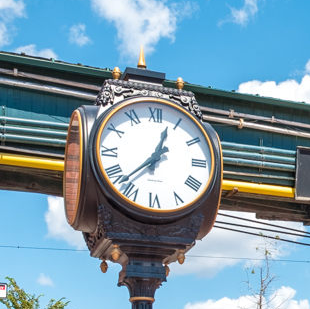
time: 12:37
